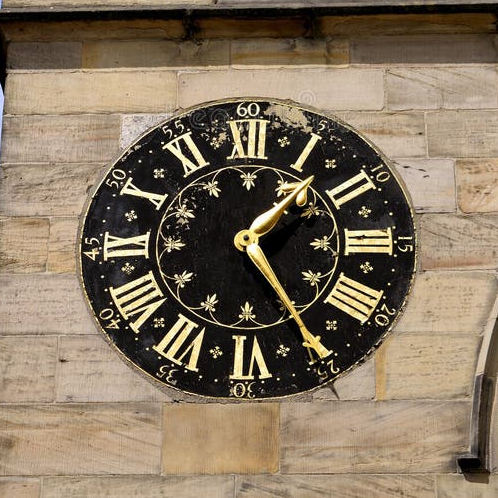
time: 1:24
